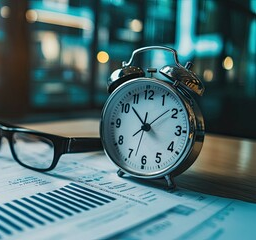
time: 1:52
